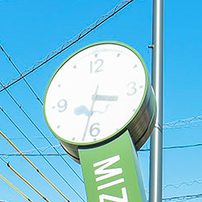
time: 3:32
